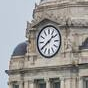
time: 1:39
